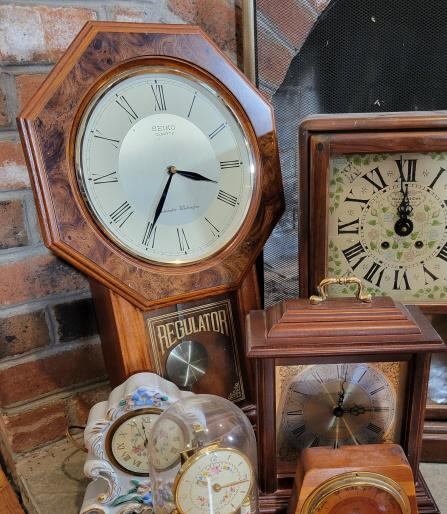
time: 3:34
